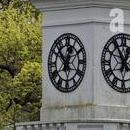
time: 12:52
